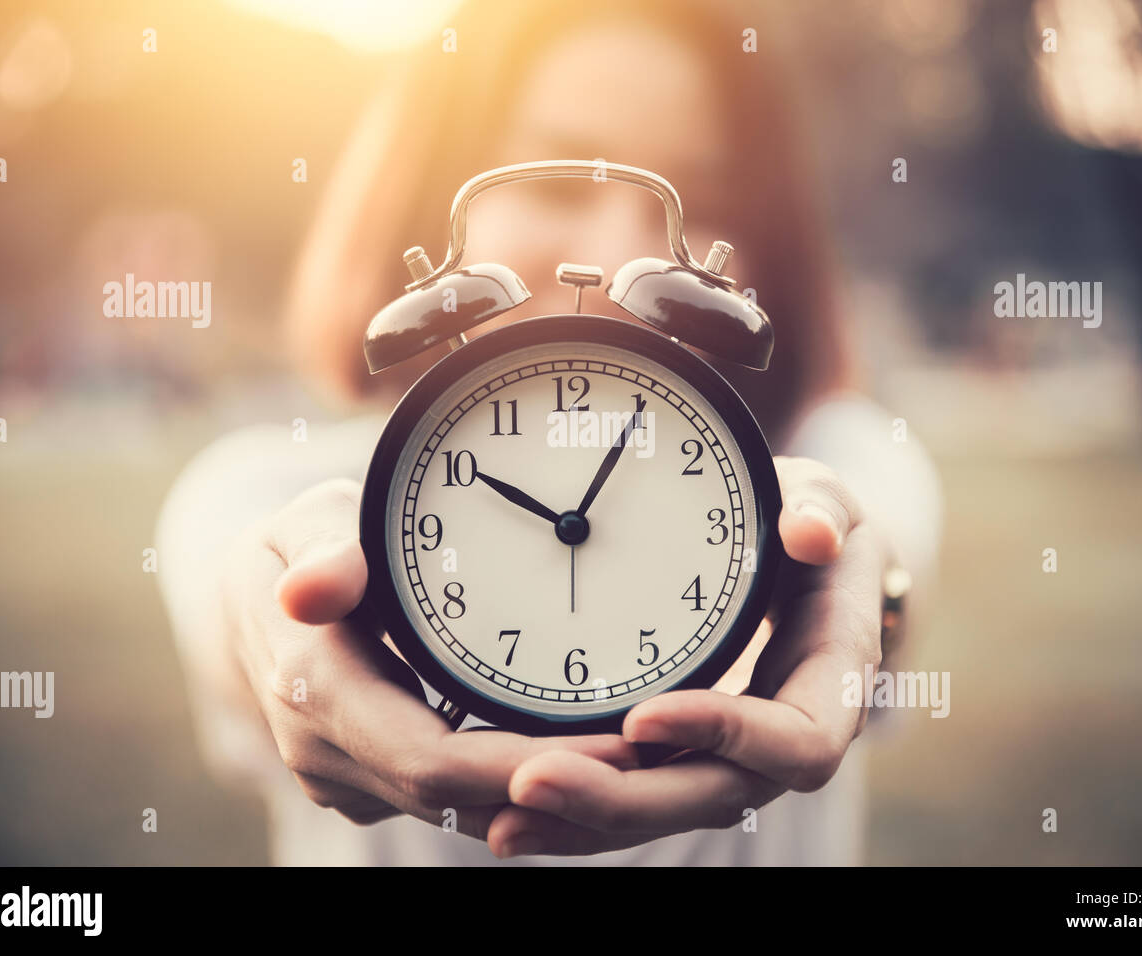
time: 10:05
